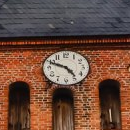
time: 4:49
